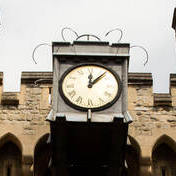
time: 12:07
